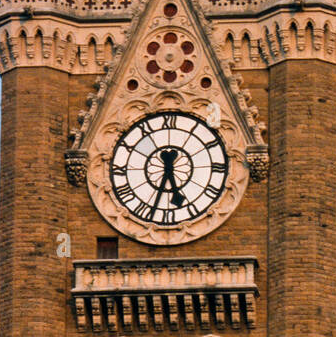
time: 5:33
